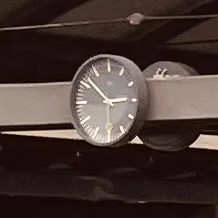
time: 2:51
